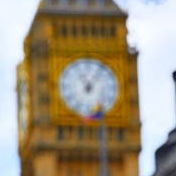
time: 11:06
